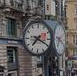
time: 7:18
